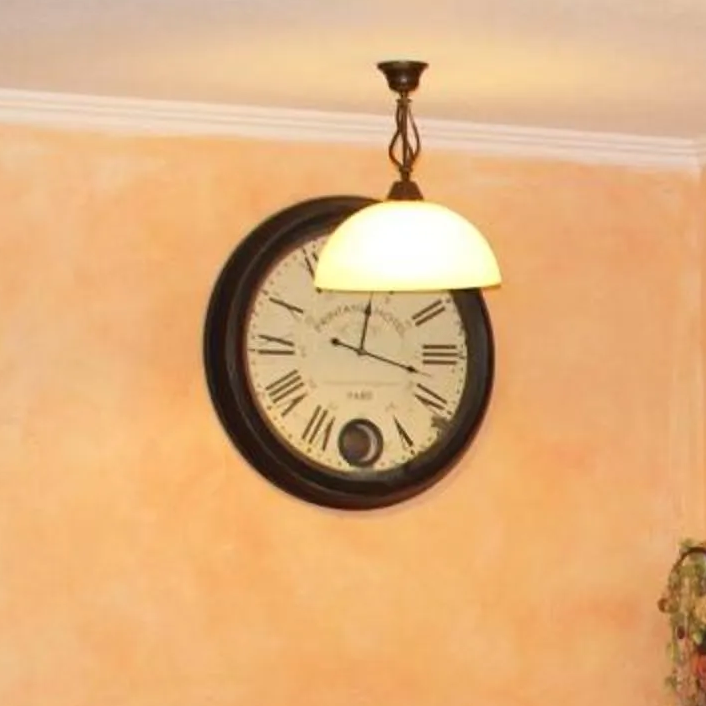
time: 12:17
